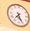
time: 7:25
